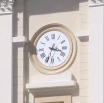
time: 3:33
